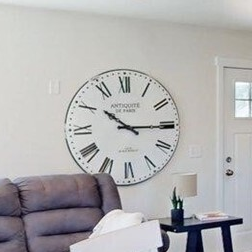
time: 10:14
